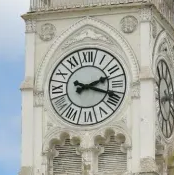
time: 2:18
